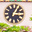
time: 1:16
